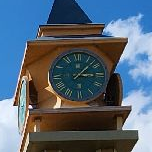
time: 3:07
